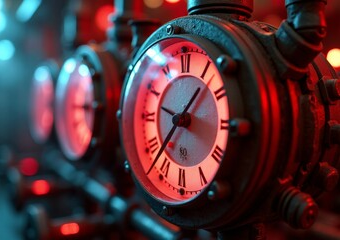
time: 1:36
